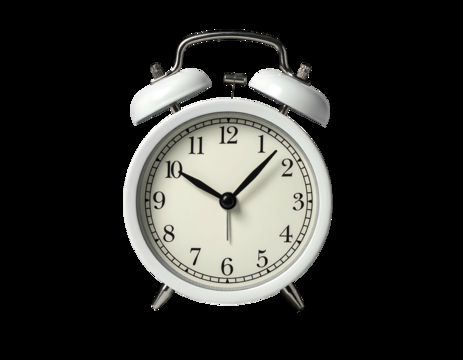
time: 10:07
